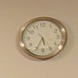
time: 5:34
